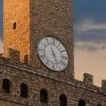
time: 5:26
